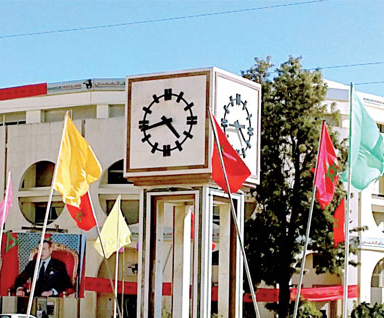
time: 4:42
